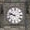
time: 9:47
